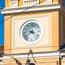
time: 3:37
